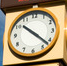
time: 10:22
